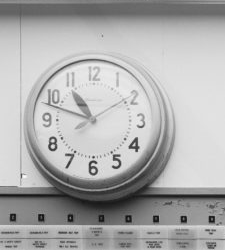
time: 10:48
